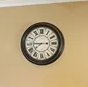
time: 7:45
